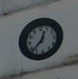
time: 12:37
